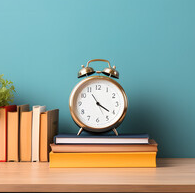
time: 4:20
